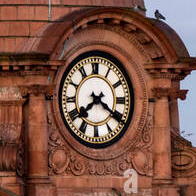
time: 7:20
